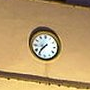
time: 8:36
